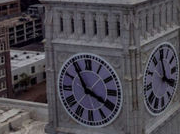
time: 3:54
